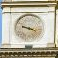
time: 9:17
